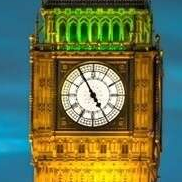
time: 4:54
